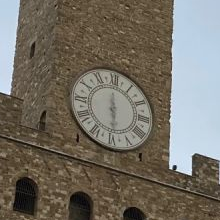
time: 5:59
